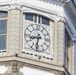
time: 8:32
